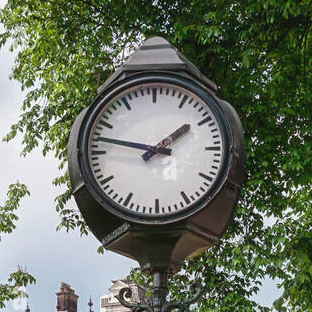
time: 1:47
